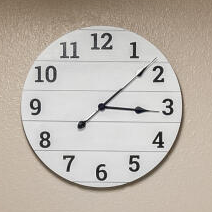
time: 3:08
